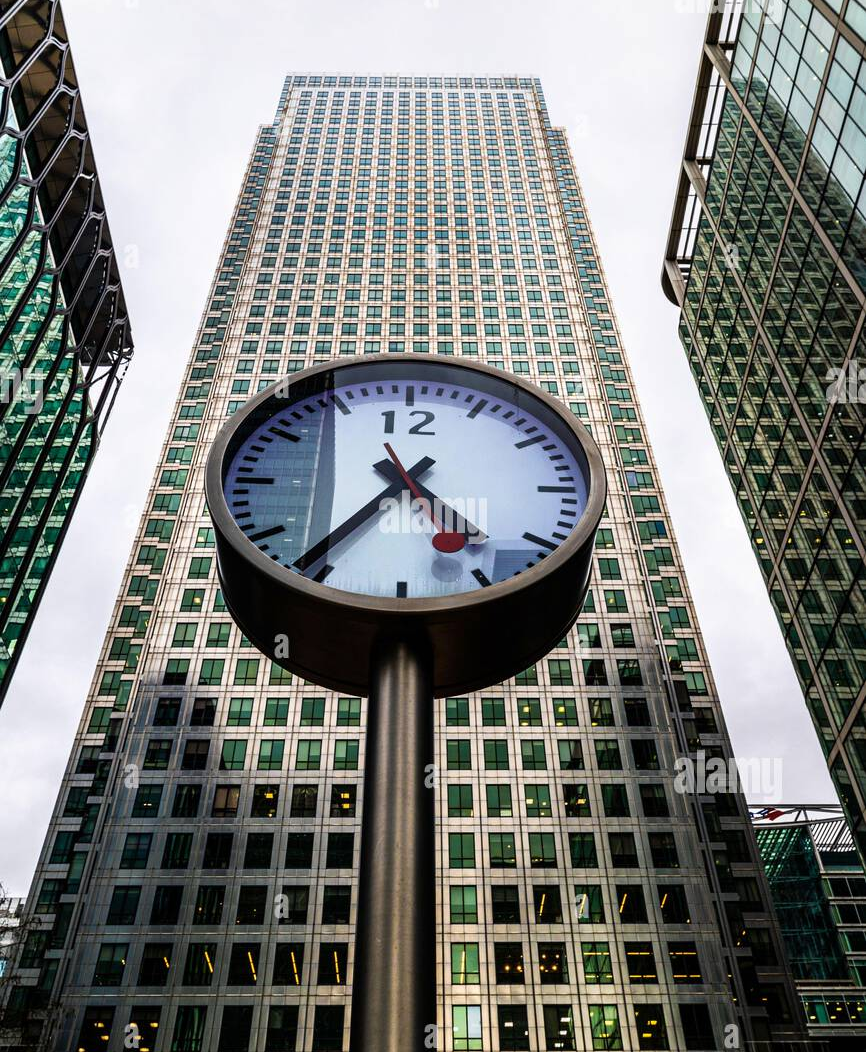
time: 4:36
